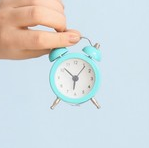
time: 6:06
